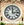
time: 12:13
